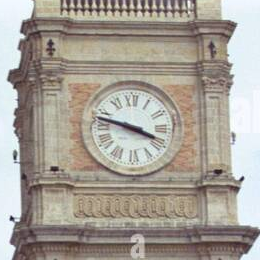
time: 3:47
